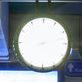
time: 8:12
